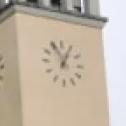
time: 12:55
